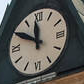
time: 11:49
